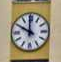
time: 9:59
